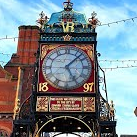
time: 5:07
